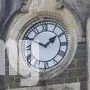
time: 1:49
